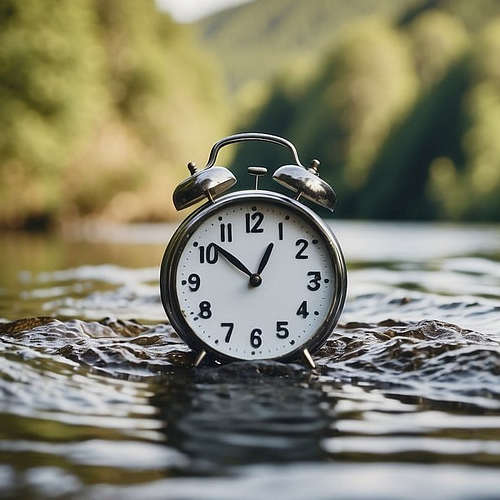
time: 12:51
